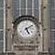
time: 5:09
